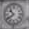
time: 10:39
